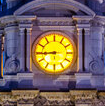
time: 8:44
